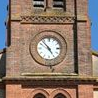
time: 4:52
